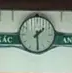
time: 1:29
